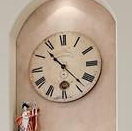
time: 10:22
